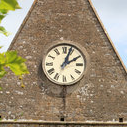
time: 2:03
